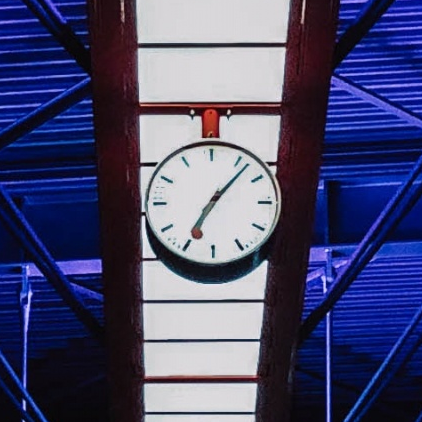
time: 7:07
